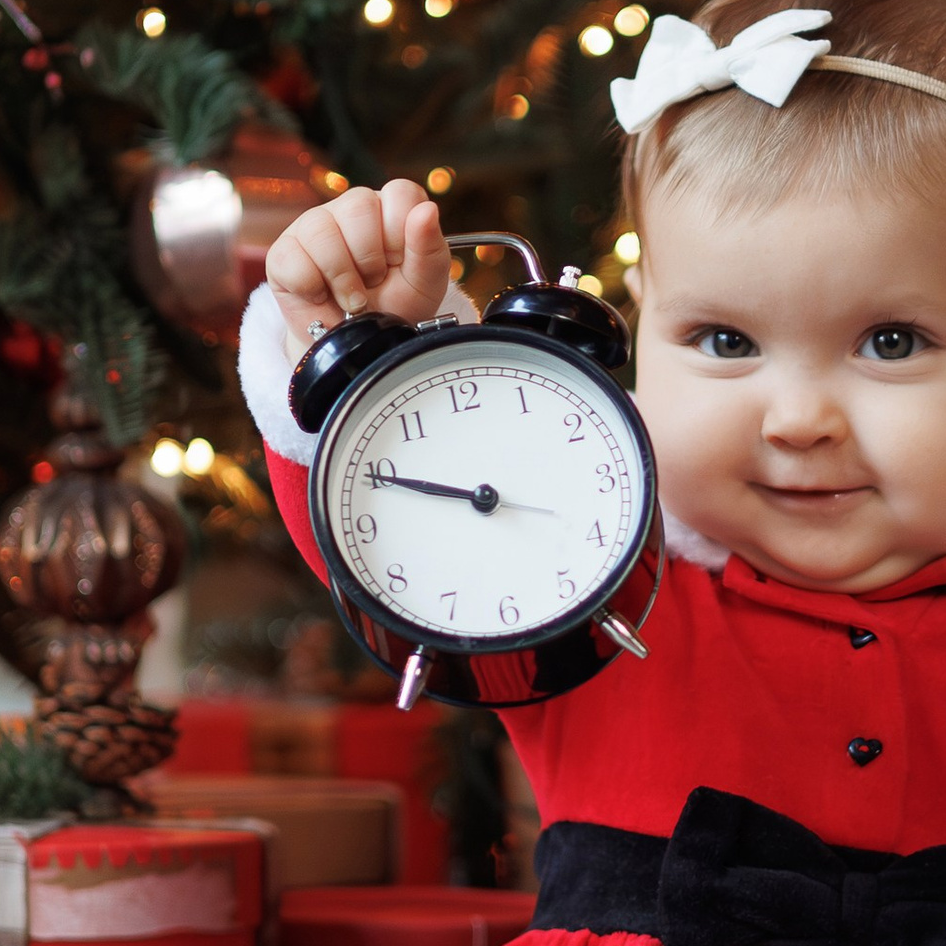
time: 9:49
